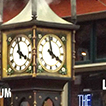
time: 3:58
